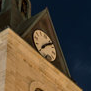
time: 8:12
